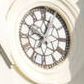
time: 10:03
